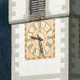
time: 9:28
